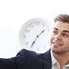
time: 1:35
